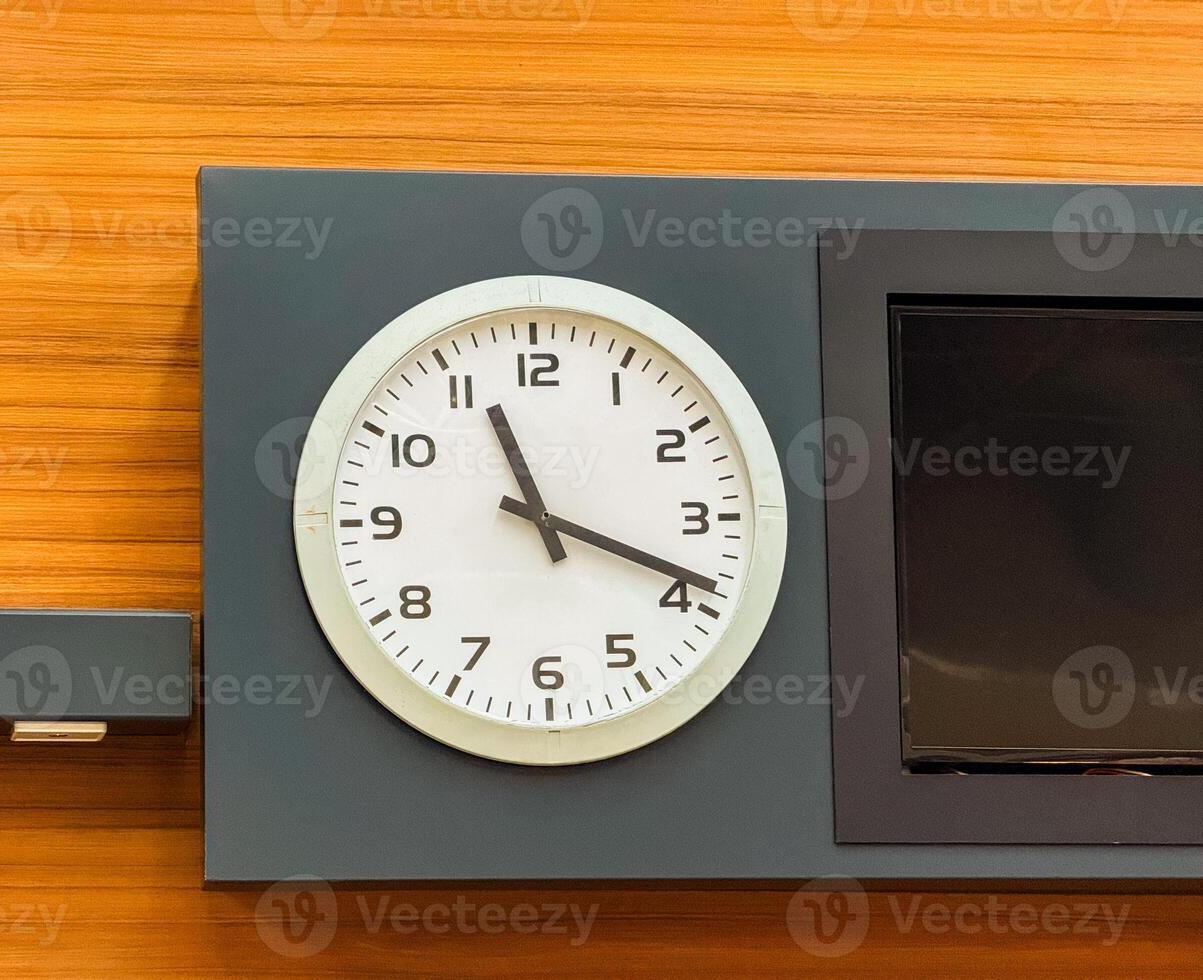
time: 11:18
